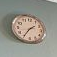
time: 1:35
